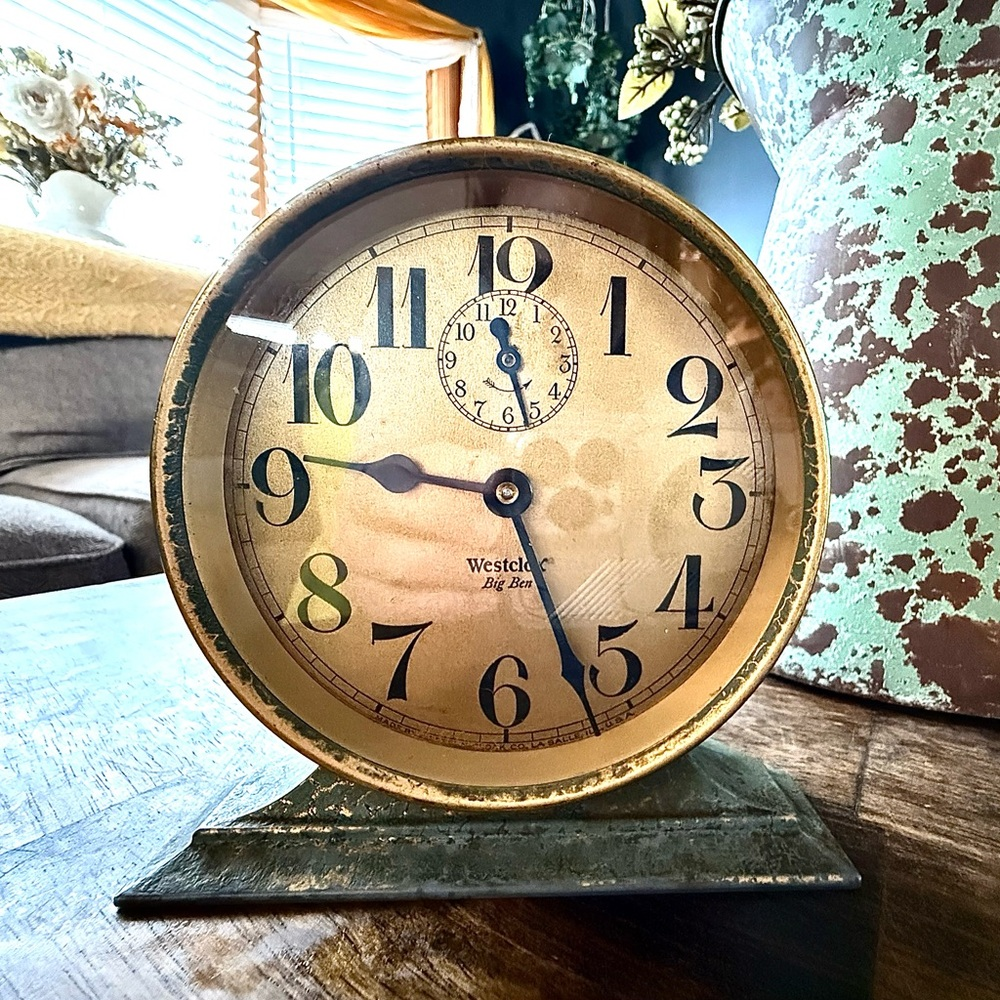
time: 9:26
